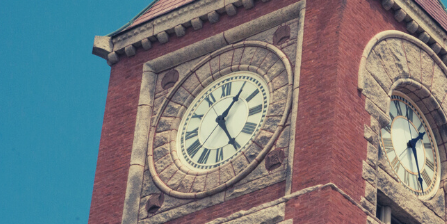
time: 1:24
